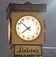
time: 7:52
